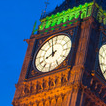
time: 7:57
